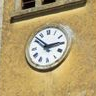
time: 2:52
